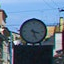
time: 3:26
